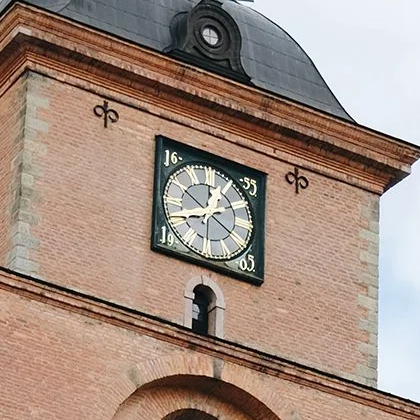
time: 12:41
